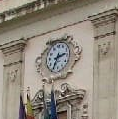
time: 2:33
